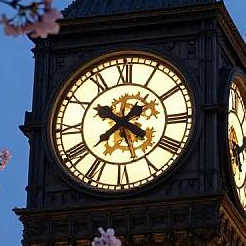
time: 1:50
